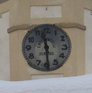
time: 11:29
